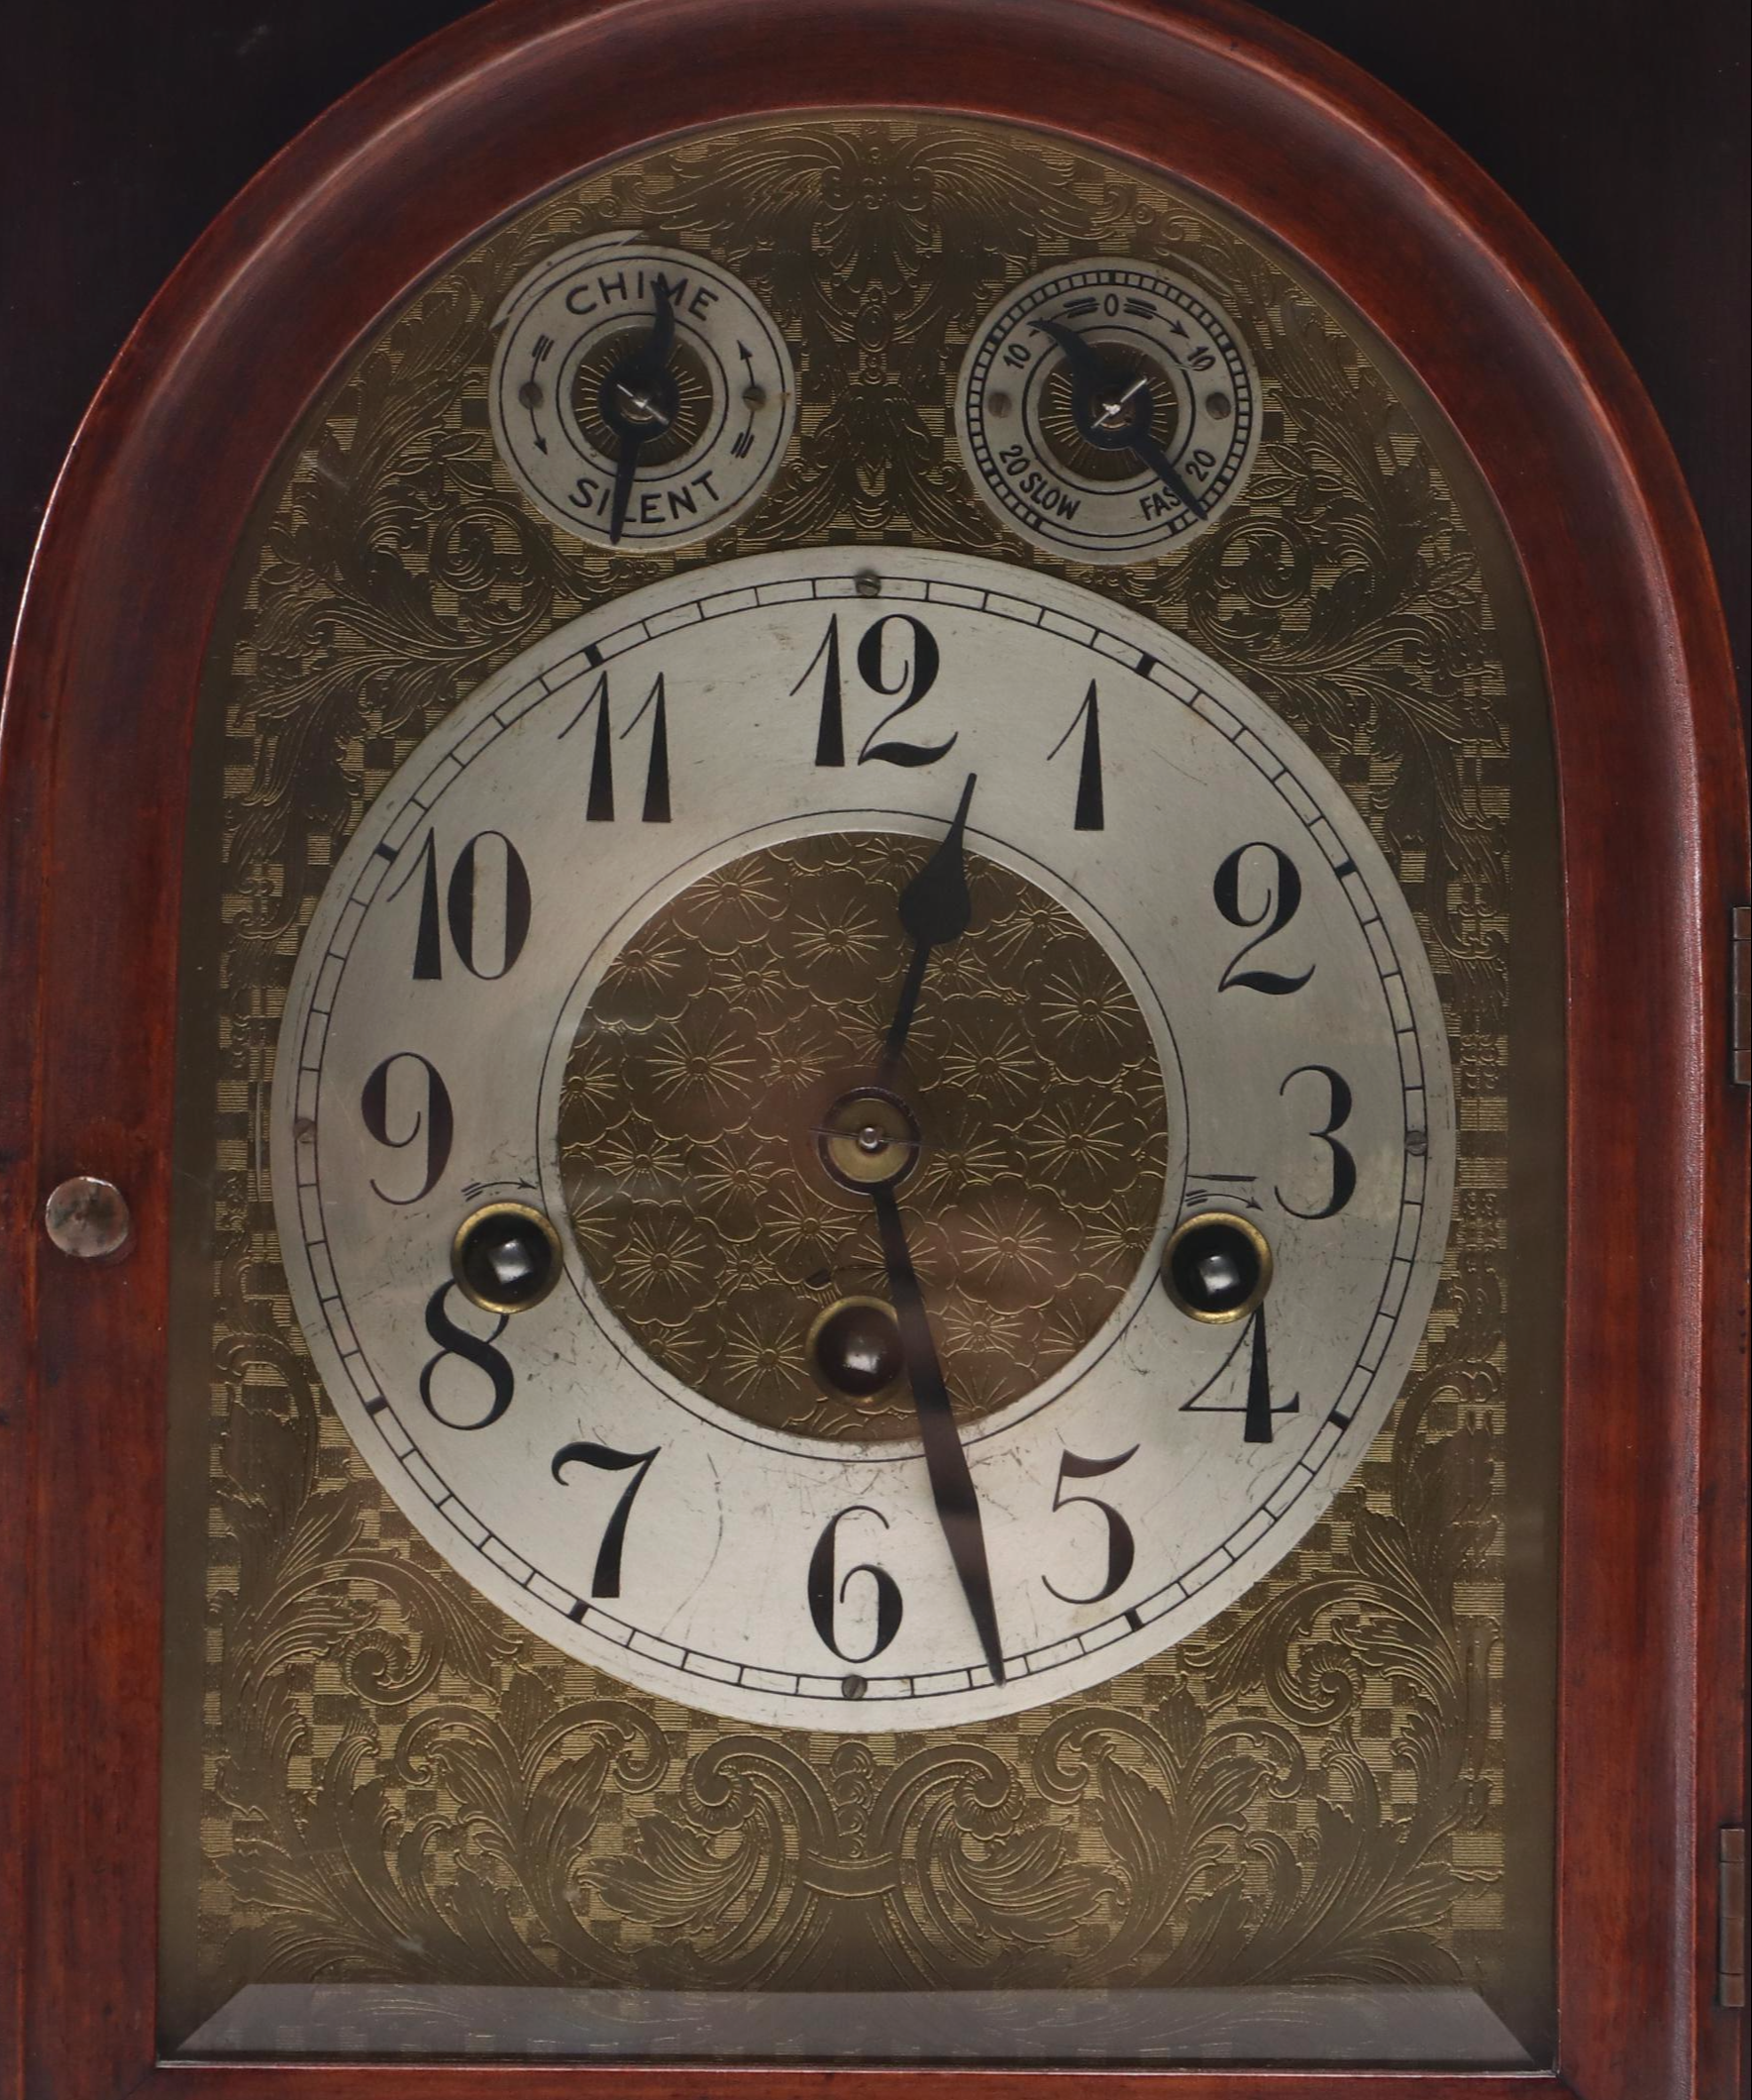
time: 12:27
